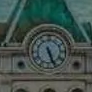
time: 5:26
